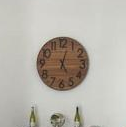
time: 12:23
